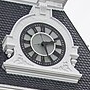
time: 2:26
